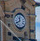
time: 11:40
